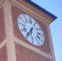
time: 6:35
